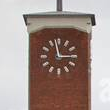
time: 2:58
